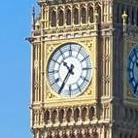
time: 10:35
